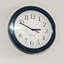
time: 2:49
